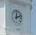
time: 12:11
